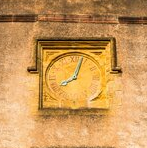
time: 8:03
